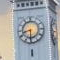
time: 8:30
